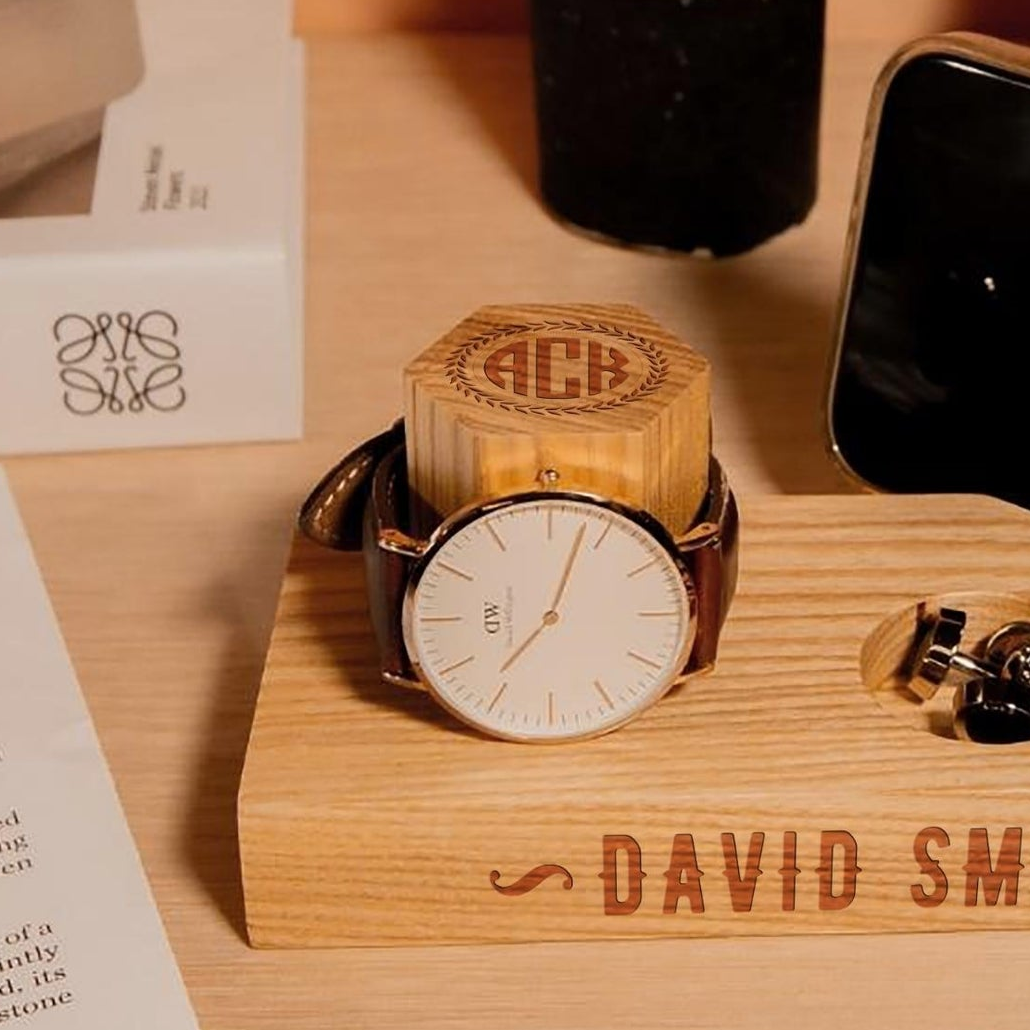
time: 7:03
